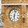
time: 6:03
